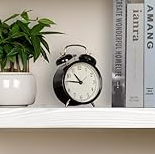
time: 10:45
